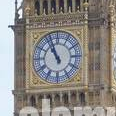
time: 10:56
